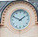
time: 1:49
